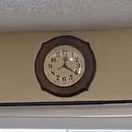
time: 12:20
